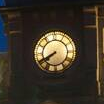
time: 7:40
